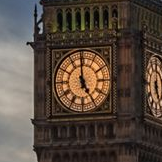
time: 4:59
